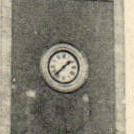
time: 1:37
